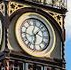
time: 6:07
